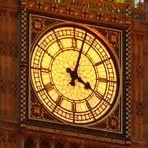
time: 4:02
